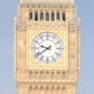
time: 9:39
